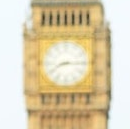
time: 8:14
